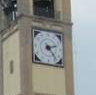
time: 2:23
